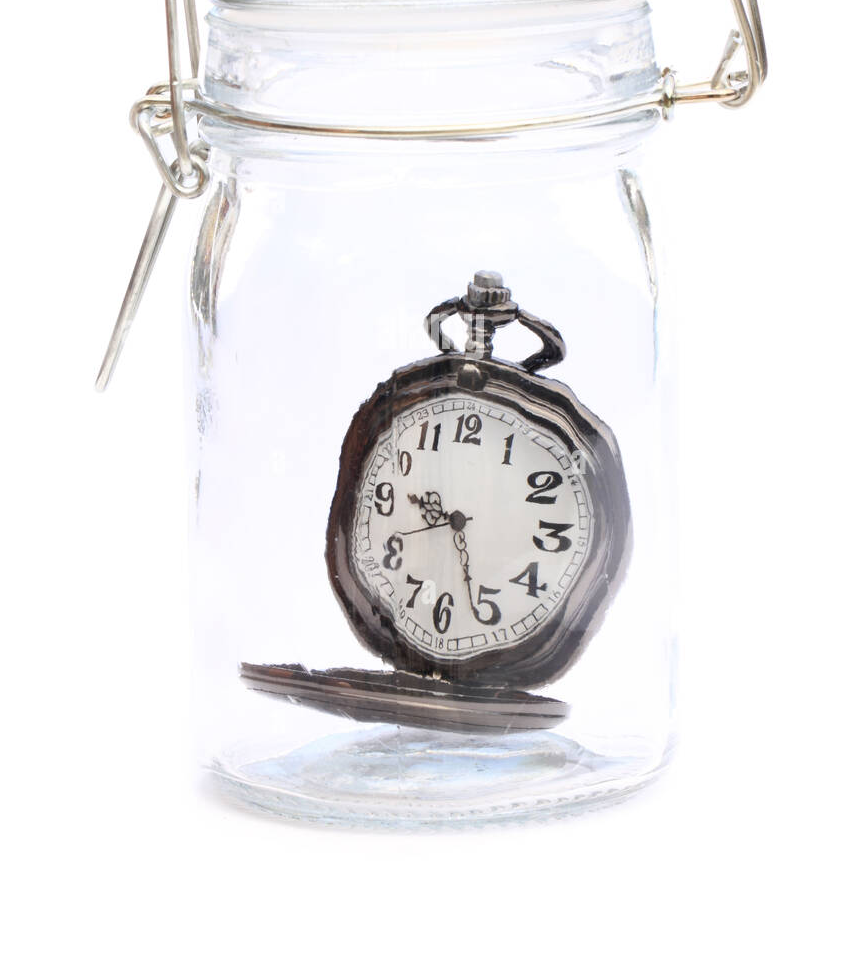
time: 9:26
